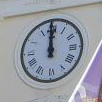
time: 11:59
